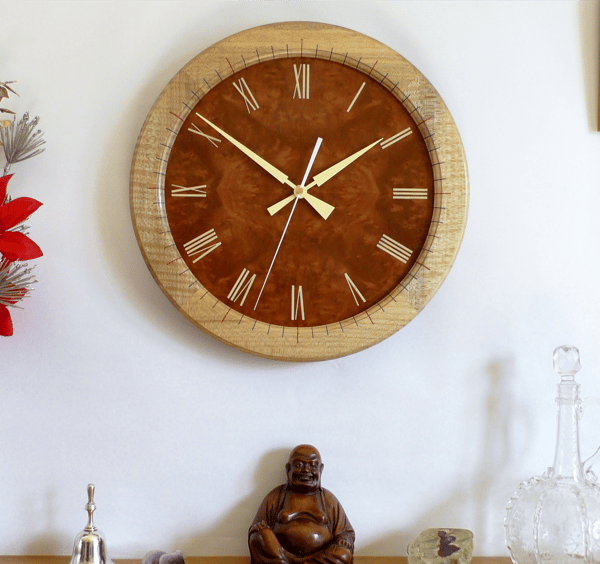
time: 1:51
